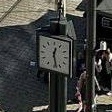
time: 12:27
